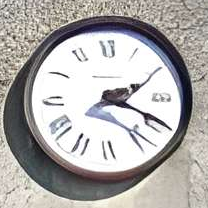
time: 2:19
